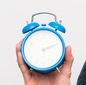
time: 2:11
